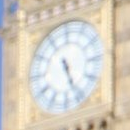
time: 5:26
